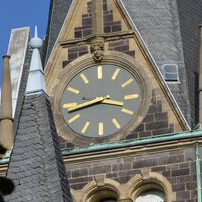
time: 3:42
